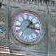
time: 1:16
